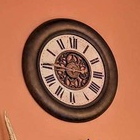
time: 11:45
